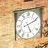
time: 5:11
